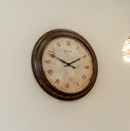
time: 1:48
